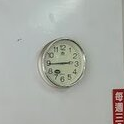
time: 2:44
